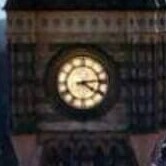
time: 4:13
